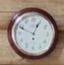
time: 12:48
